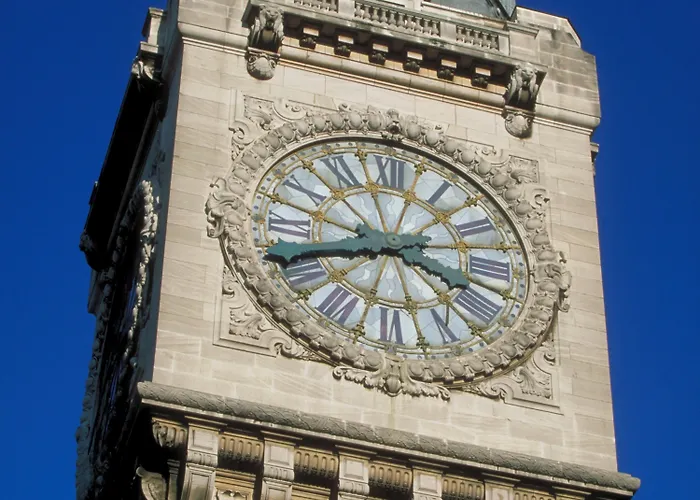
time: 3:40
